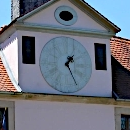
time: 1:25
